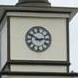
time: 2:49
